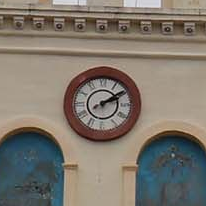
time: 2:09
